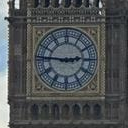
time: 2:46
